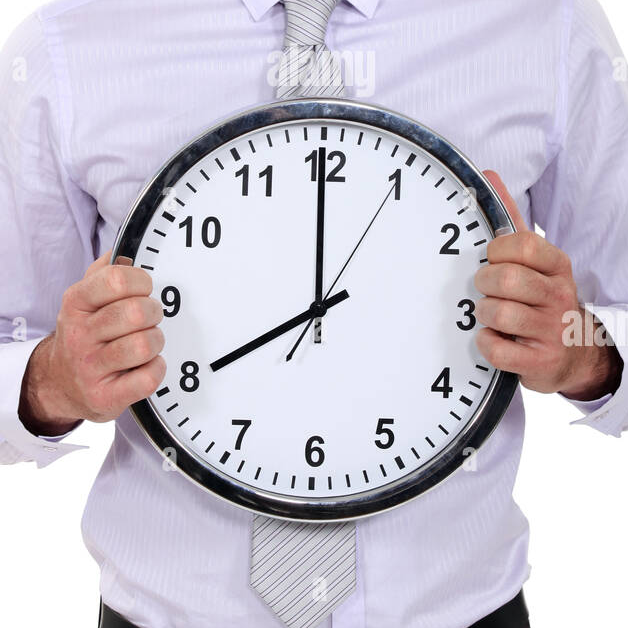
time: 7:59
